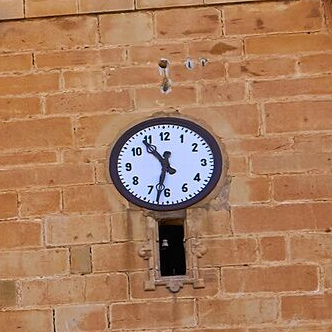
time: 10:32
